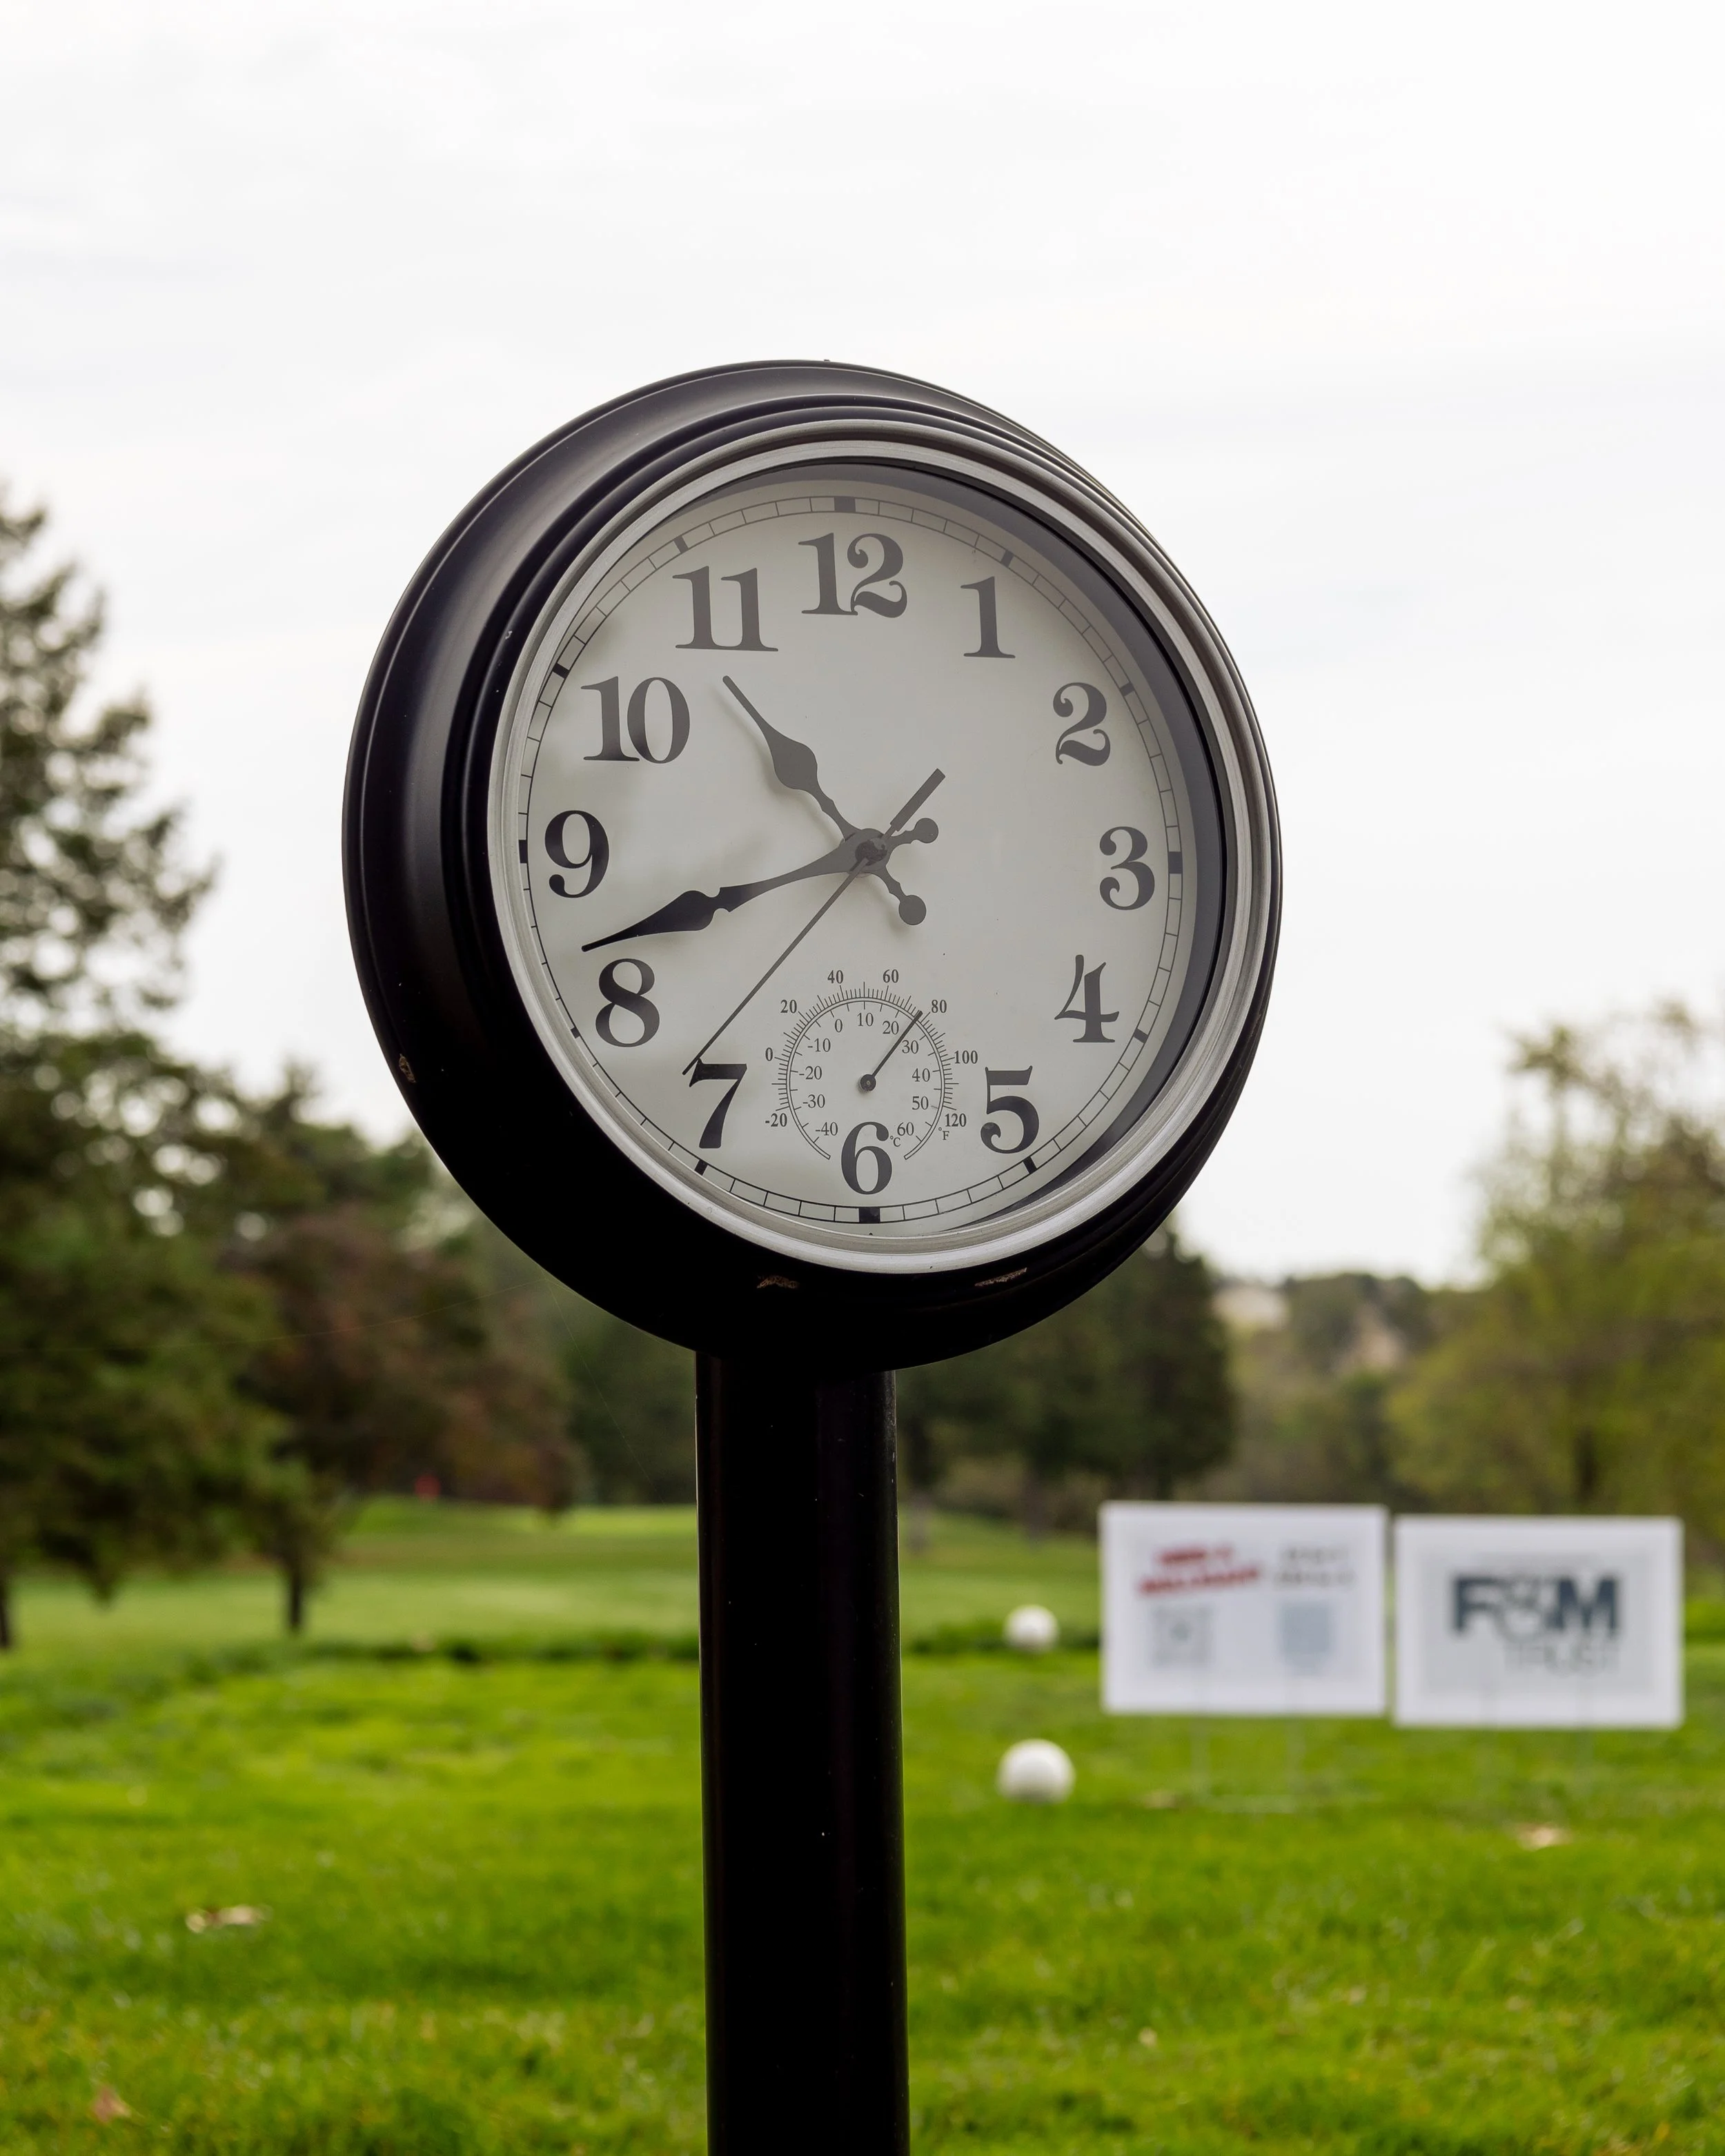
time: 10:41
